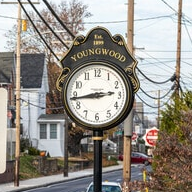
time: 2:43
